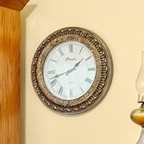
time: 1:41
